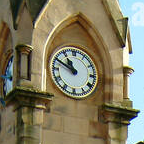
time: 10:49
